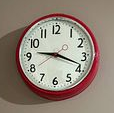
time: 9:18
